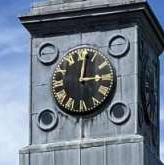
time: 3:01
